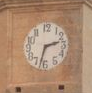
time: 2:32
